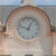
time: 12:48
